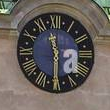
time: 11:30
